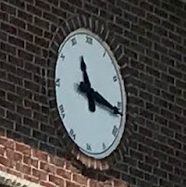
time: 11:16
